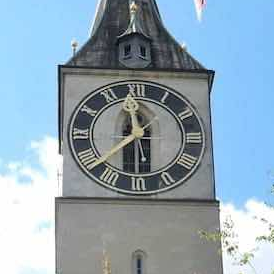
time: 11:30
